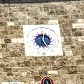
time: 5:01
